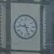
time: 9:26
